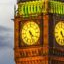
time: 4:26
